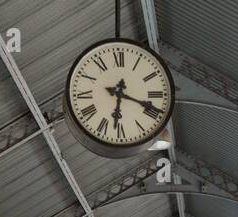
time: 6:18
